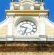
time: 9:33
